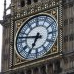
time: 6:47
